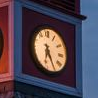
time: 6:25
